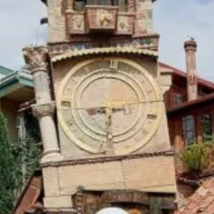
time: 8:31
